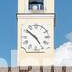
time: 4:51
